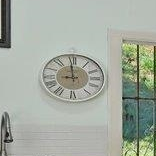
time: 8:59
